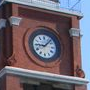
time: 9:07
